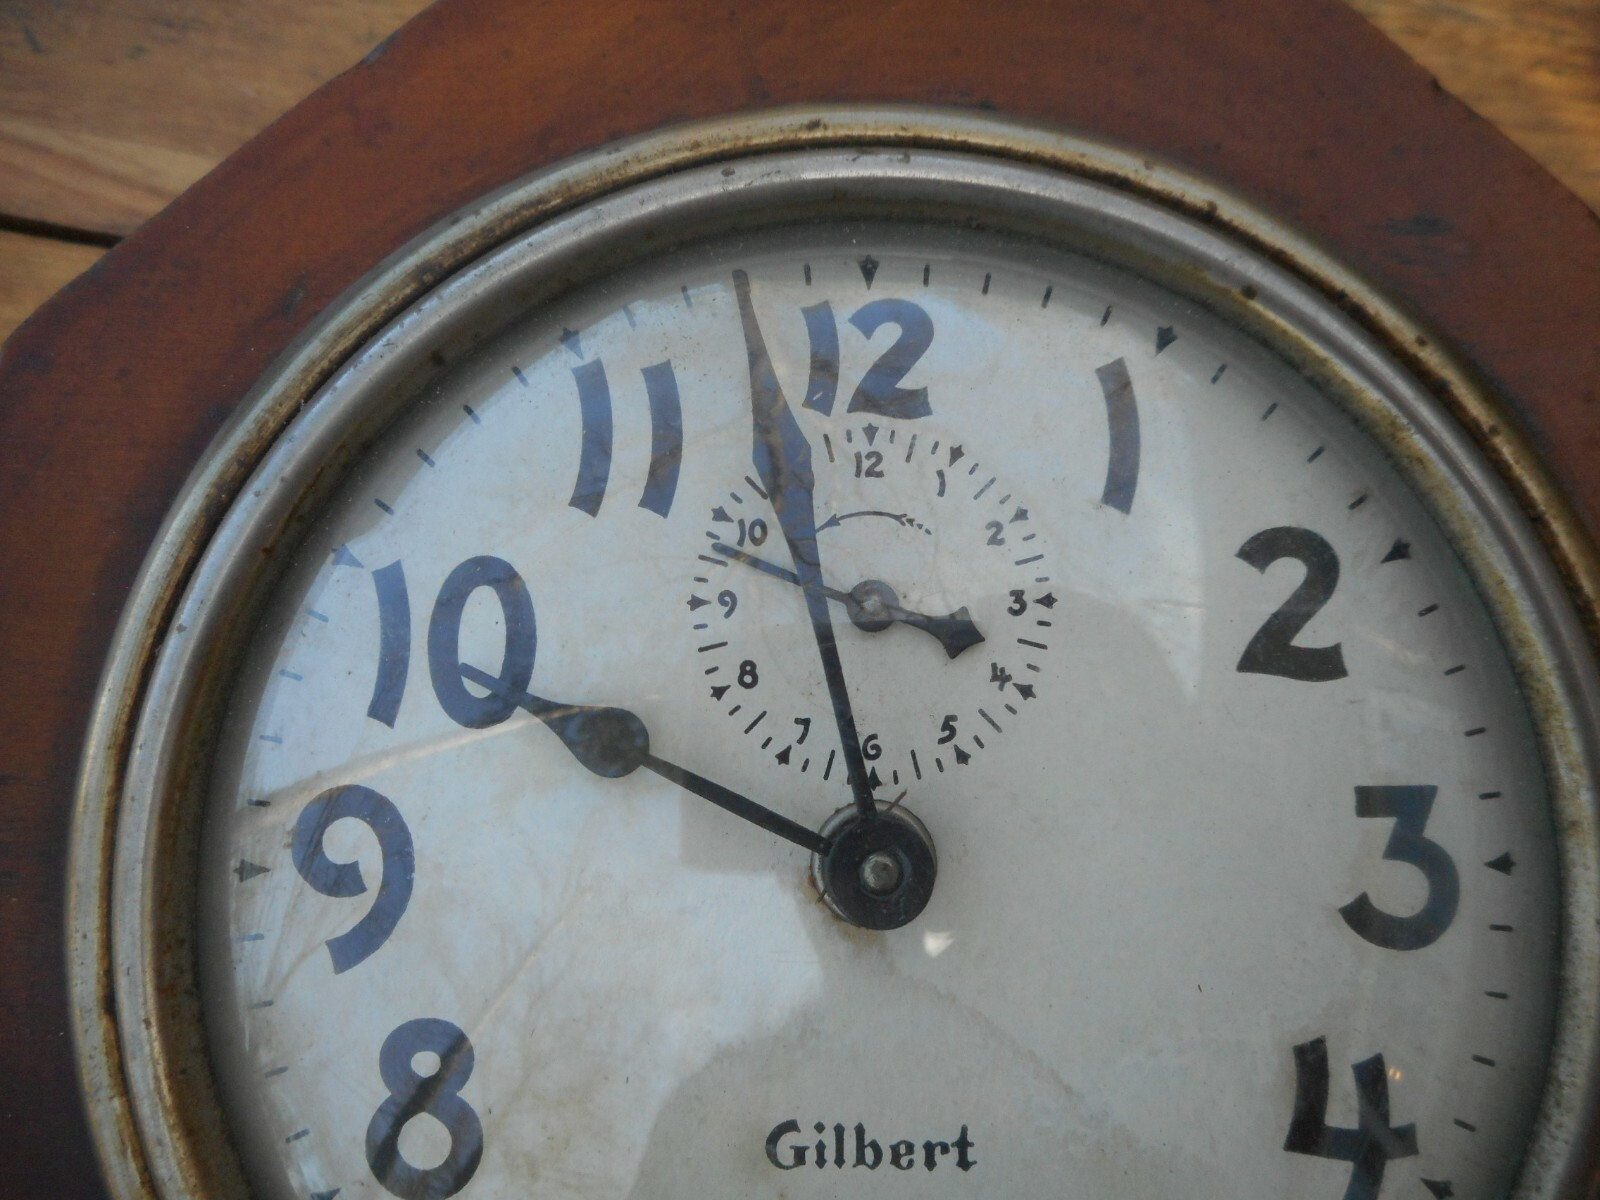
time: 9:57
